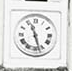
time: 11:27
